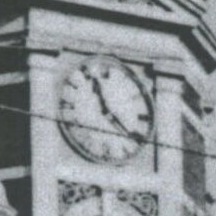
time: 11:21
